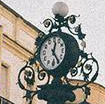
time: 12:23
